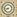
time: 8:38
